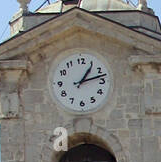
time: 1:12
